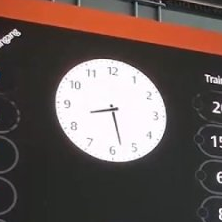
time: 8:27
